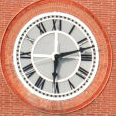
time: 6:12
